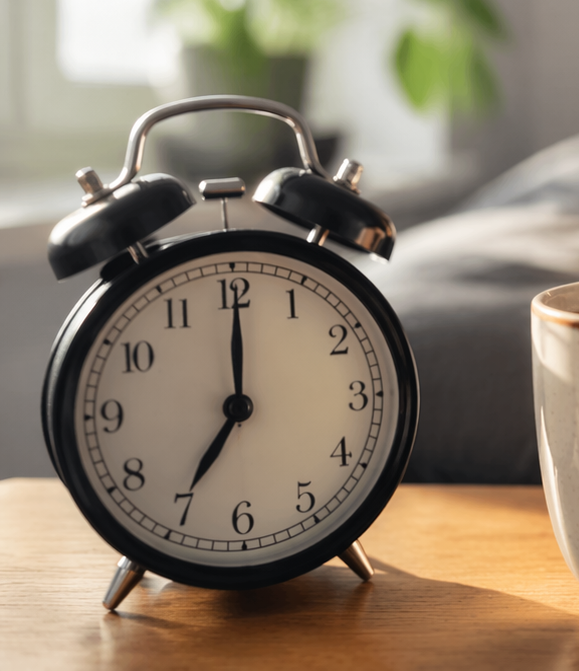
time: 7:00
